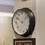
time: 10:07
